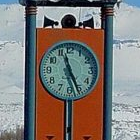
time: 11:26
